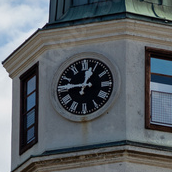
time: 12:46
